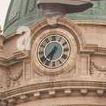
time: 7:33
